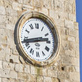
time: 2:42
